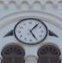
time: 5:06
